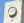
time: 8:07
